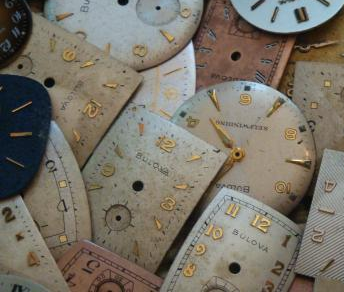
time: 10:34
